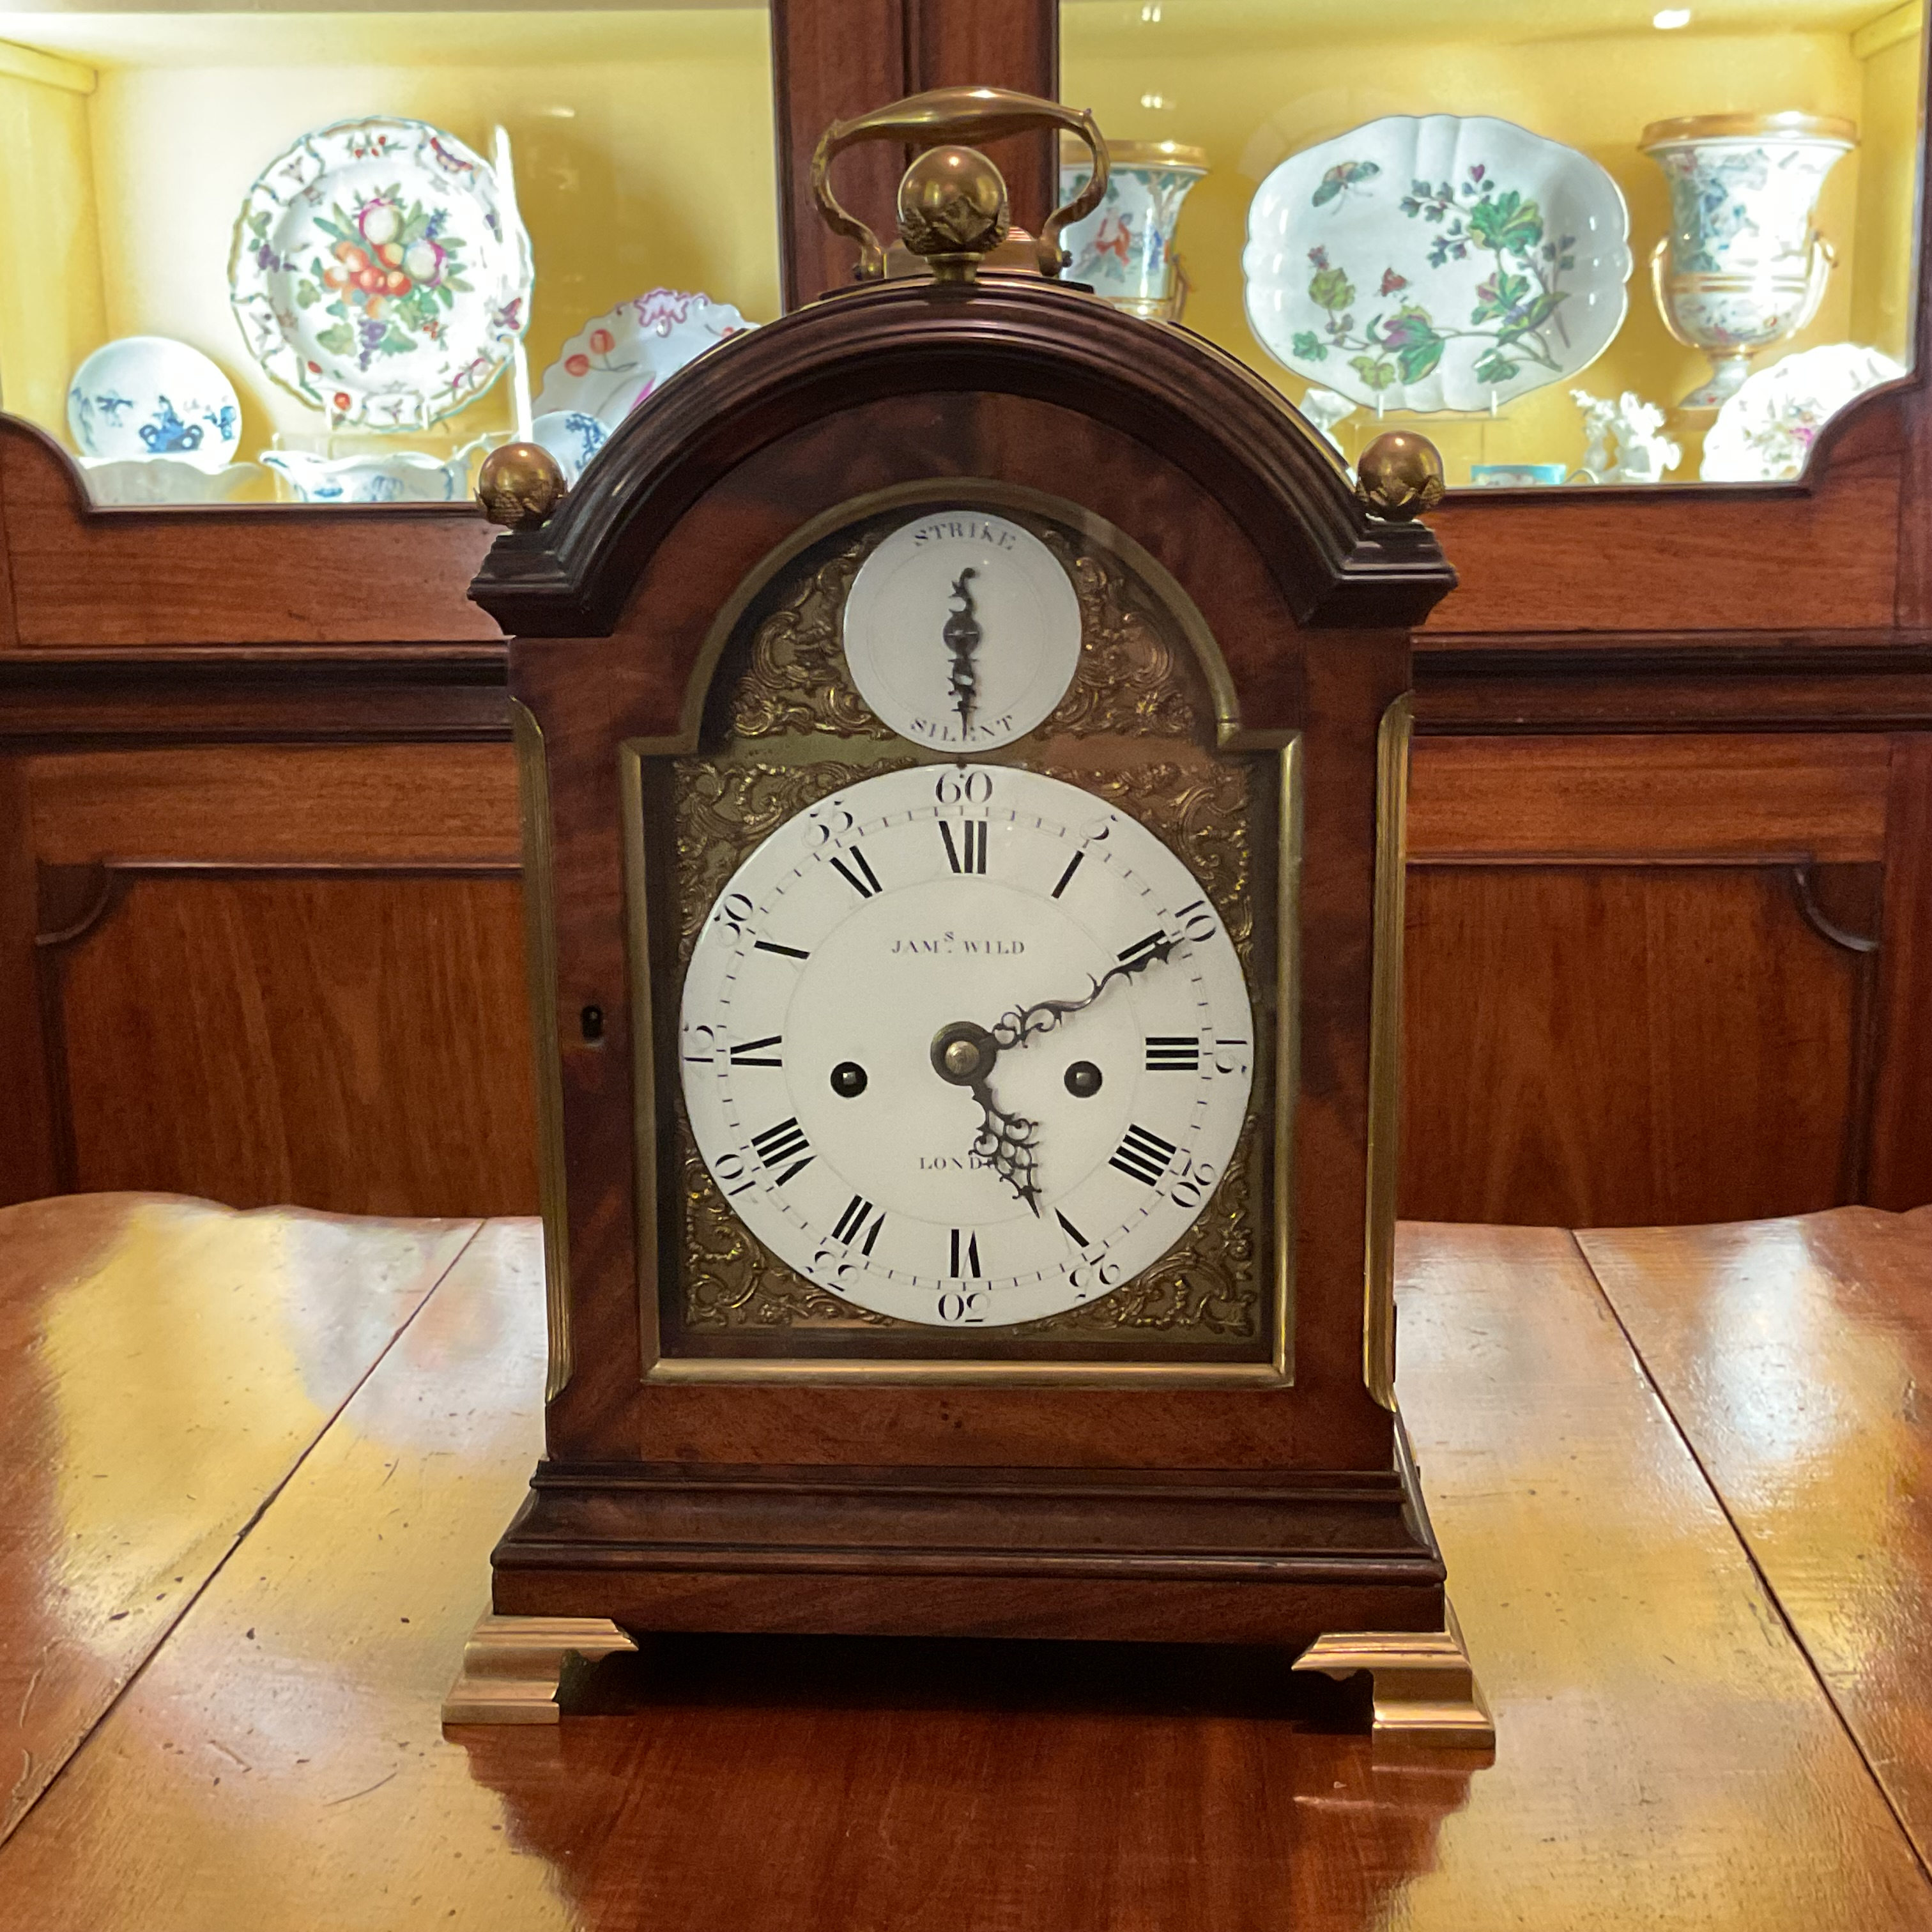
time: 5:11
